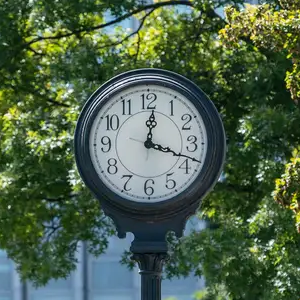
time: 12:18
